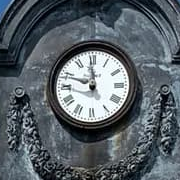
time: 11:48
